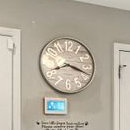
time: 8:17
